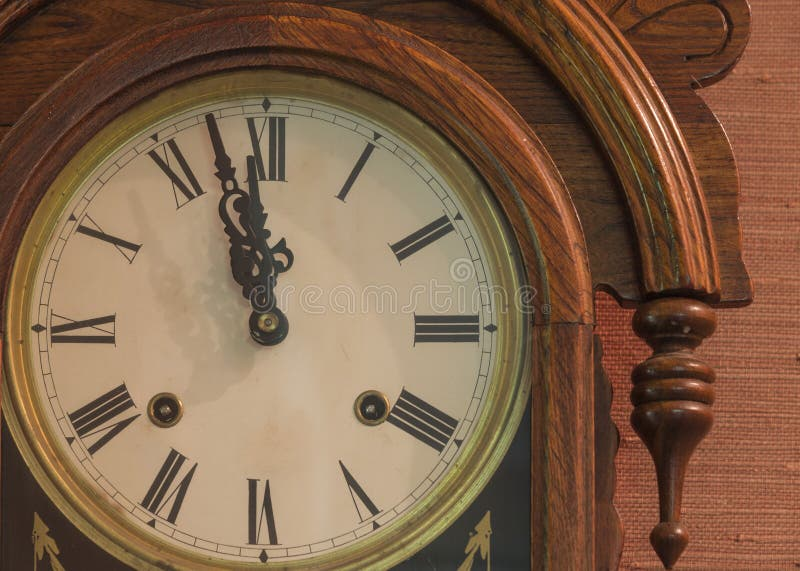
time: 11:57
